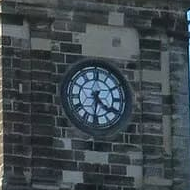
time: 4:31
